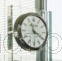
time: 11:19
